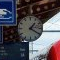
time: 1:20
